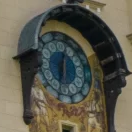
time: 12:32
